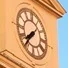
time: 7:36
